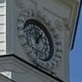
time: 12:06
